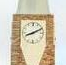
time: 8:11
